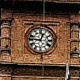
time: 12:46
